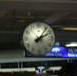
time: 2:06
